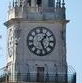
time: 1:26
